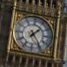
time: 1:24
